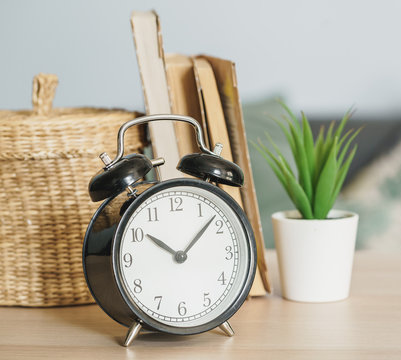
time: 10:07
